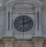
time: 12:11
